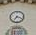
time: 7:18
